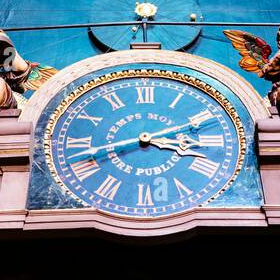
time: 3:42
